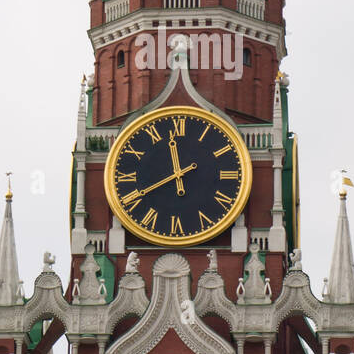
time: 11:40
